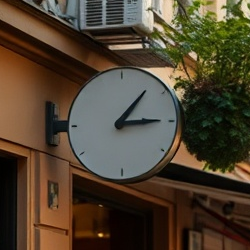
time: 1:14
